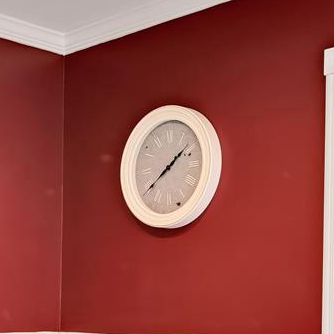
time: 1:39
